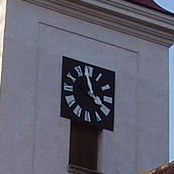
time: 3:58
